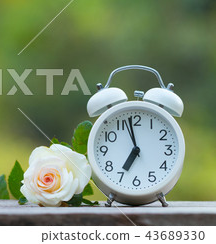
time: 6:58
